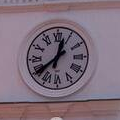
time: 12:39
